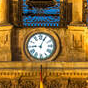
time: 9:04
